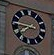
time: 7:45
